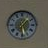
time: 1:28
